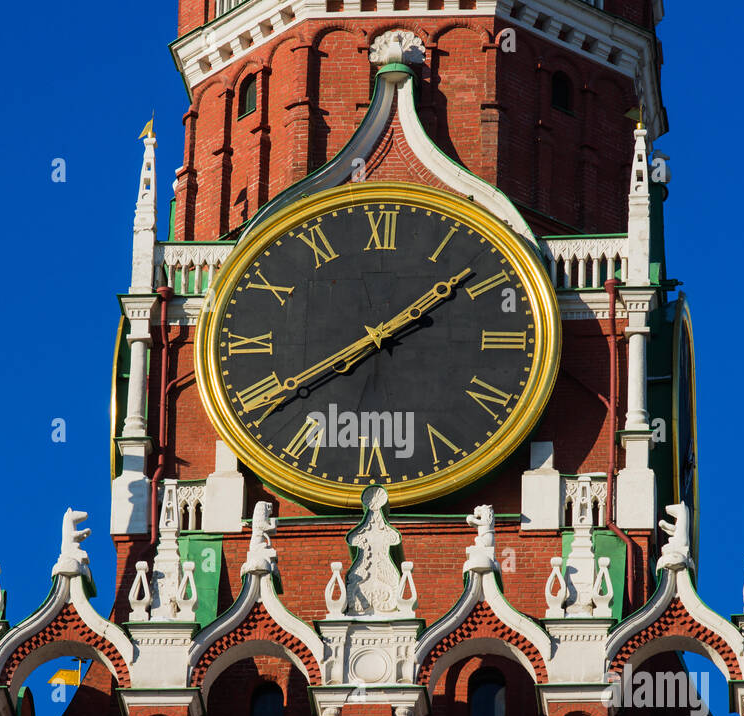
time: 1:39
